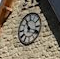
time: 11:17
